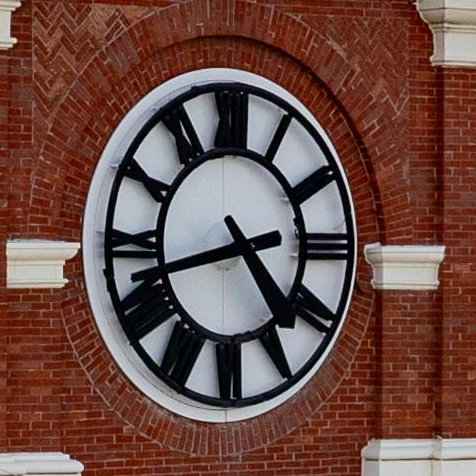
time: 4:42
